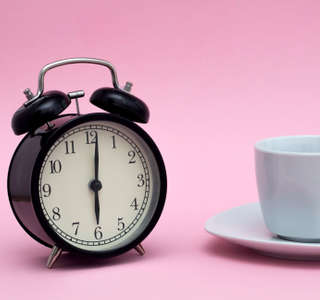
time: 6:01
